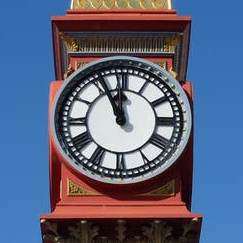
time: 11:55
